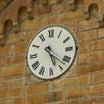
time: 5:22
